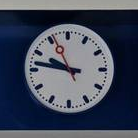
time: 9:46
